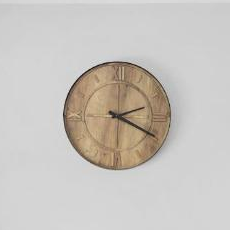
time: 2:19
